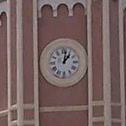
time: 1:01
